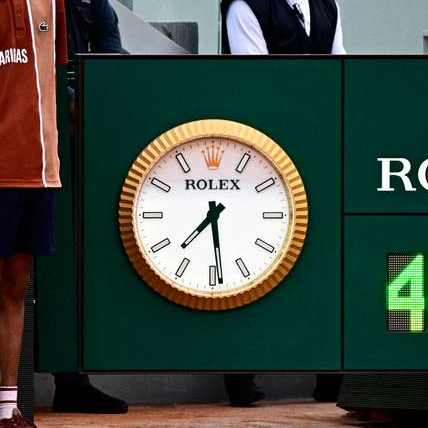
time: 7:28
